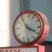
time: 3:53
